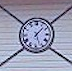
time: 1:26
